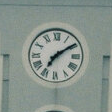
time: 7:09
